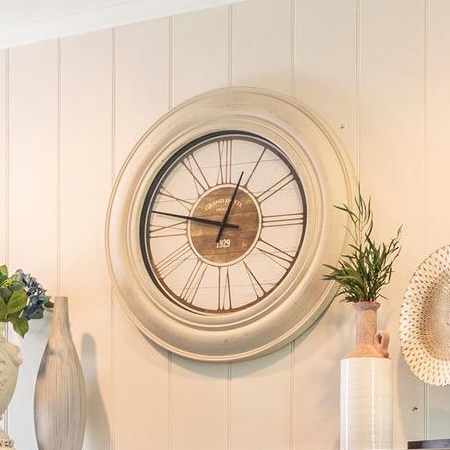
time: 12:47
